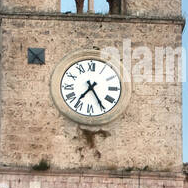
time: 7:24
